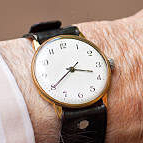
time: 3:39
